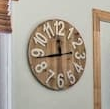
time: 11:43
